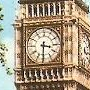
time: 3:30
